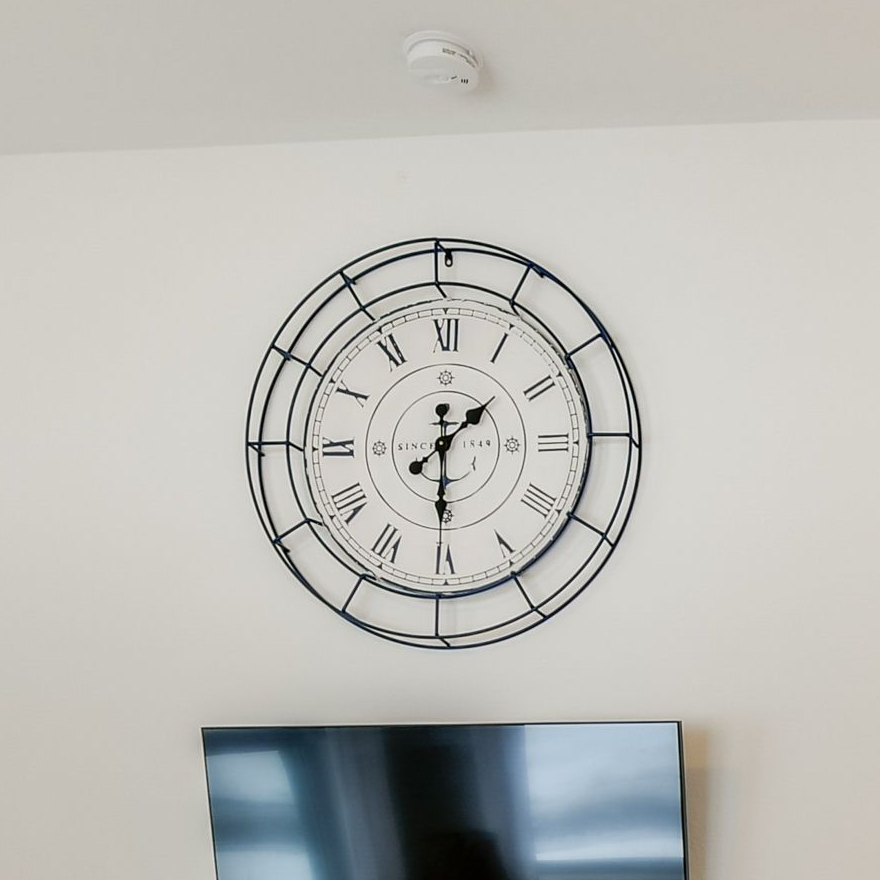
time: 1:30
